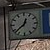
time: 12:37
